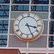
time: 3:25
